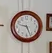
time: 9:26
